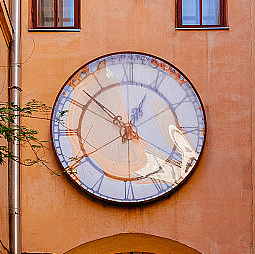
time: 12:51
